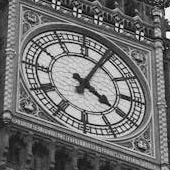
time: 4:04
